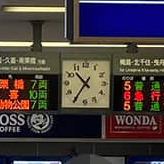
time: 10:35
